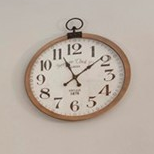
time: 11:08
